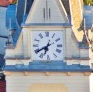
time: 6:39
